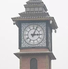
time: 3:03
